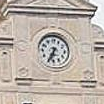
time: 6:34
